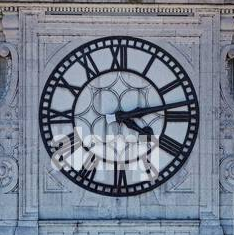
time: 4:13
